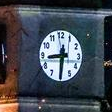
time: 8:30
